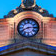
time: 8:14
